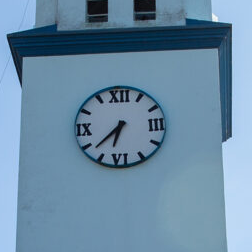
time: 6:37
